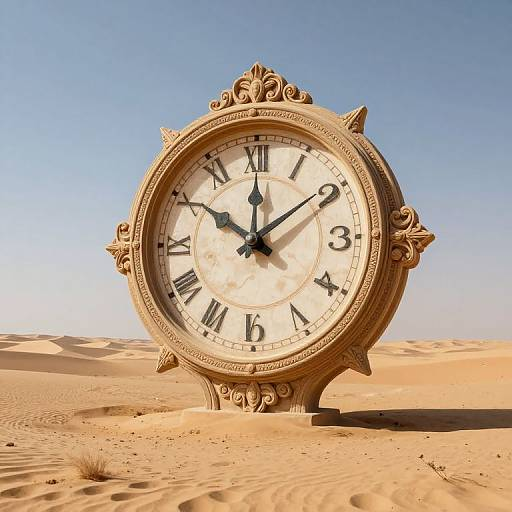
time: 11:50
